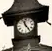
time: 11:24
